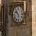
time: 10:28
